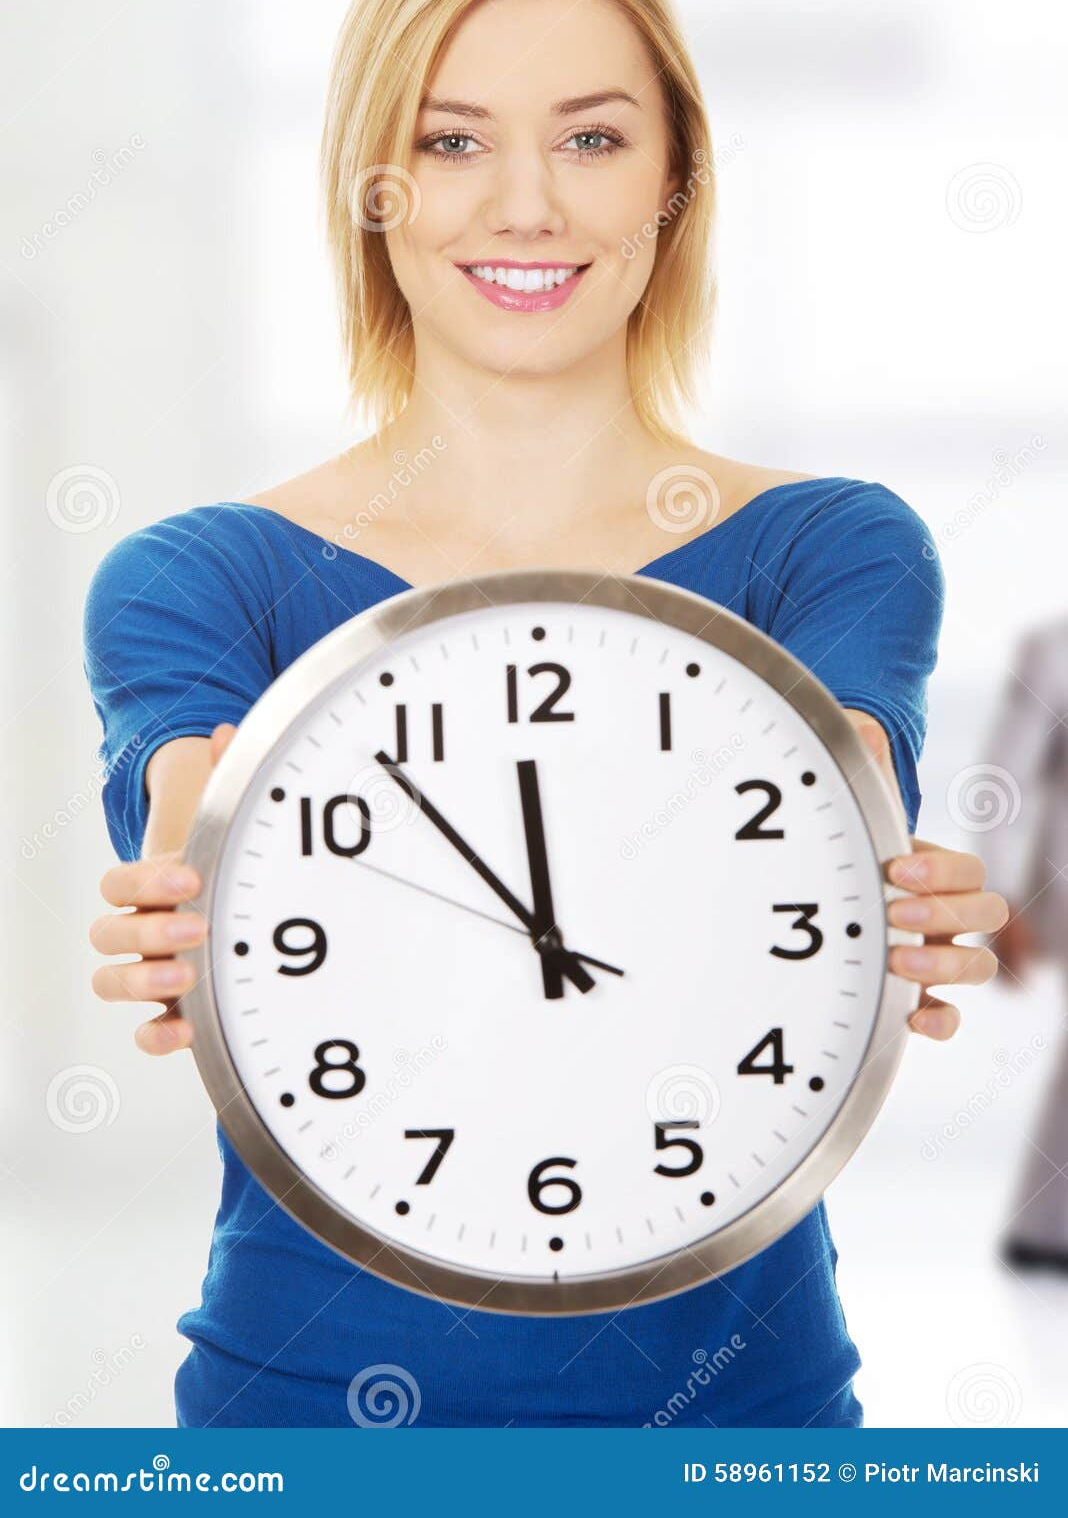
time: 11:53
